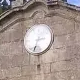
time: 2:33
